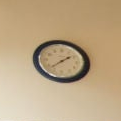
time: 1:37
